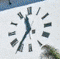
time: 11:35
